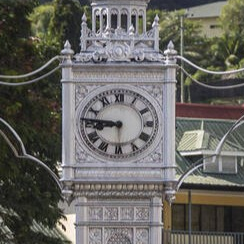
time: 8:46
